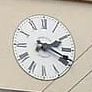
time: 2:18
